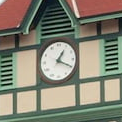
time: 1:19
